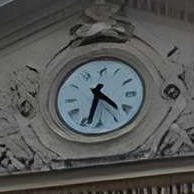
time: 4:32
